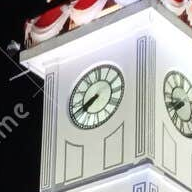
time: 7:41
